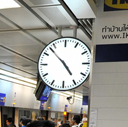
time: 4:52
